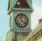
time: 11:21
